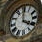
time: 4:00
